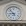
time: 8:53
